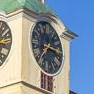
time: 7:15
